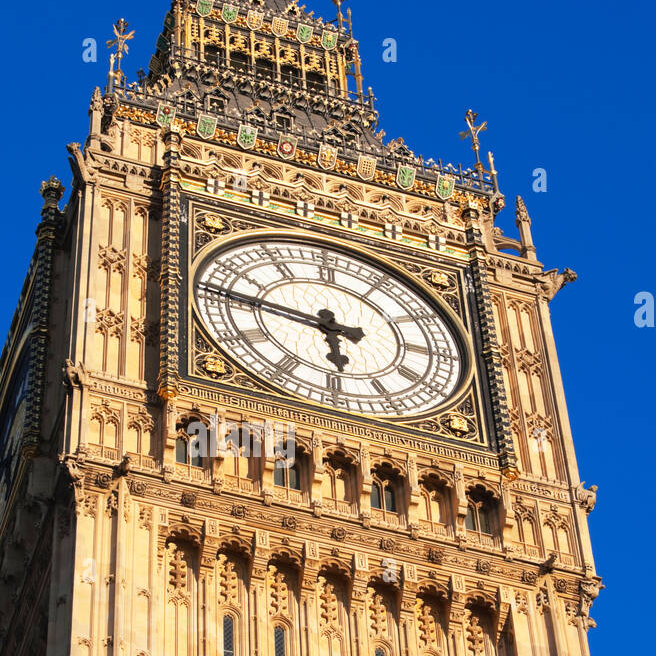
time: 5:46
